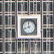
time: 11:42
